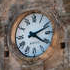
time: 4:11
